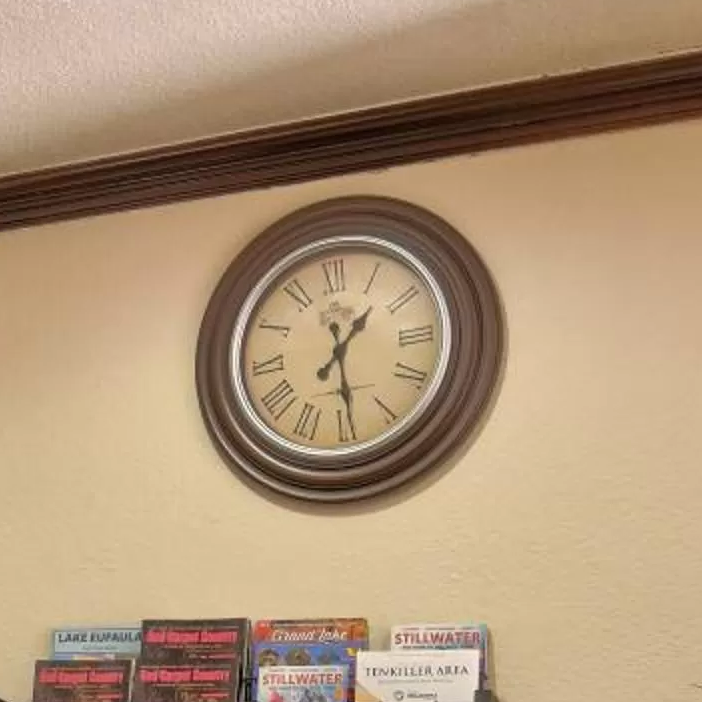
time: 1:29
